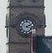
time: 2:18
